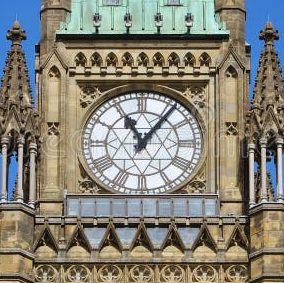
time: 11:06
